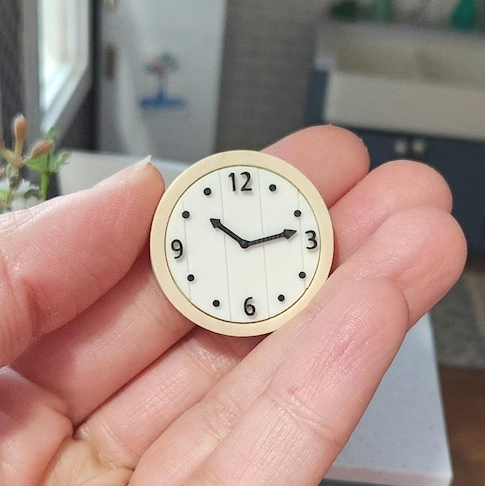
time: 10:12
